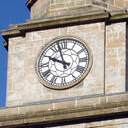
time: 9:57
